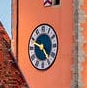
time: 4:48
